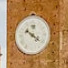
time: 10:20
